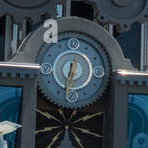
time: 12:32
